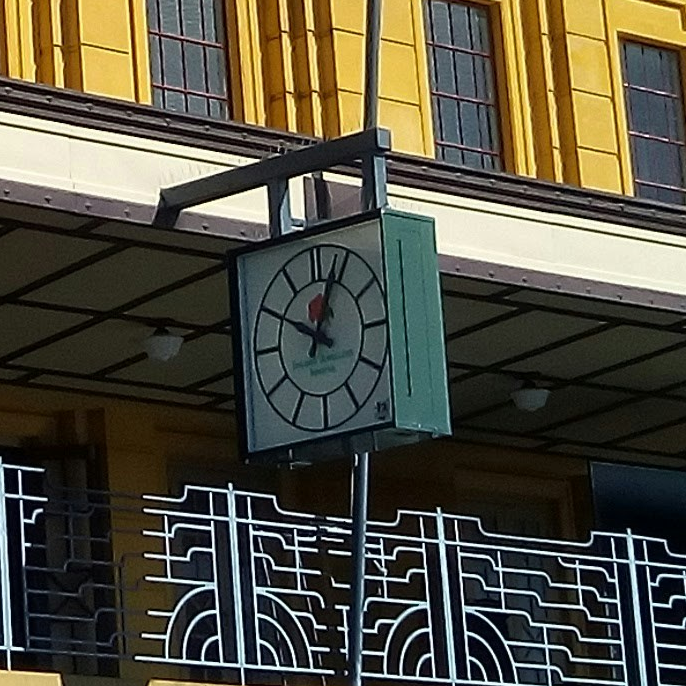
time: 12:49
